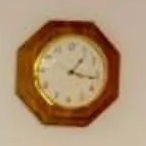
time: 1:16
